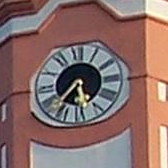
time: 5:36
